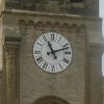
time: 11:11
